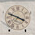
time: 3:48
